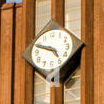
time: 4:48
